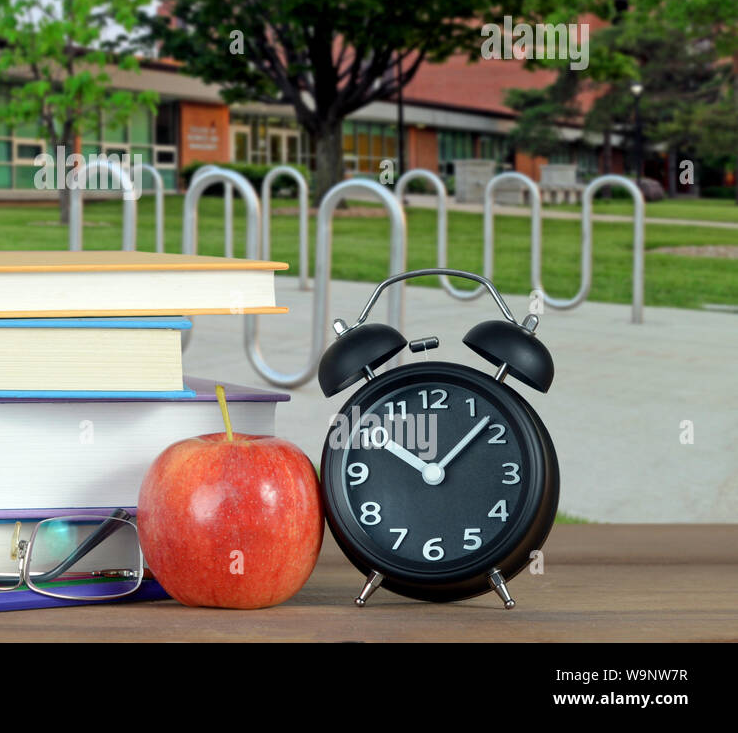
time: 10:07
